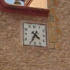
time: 4:34
